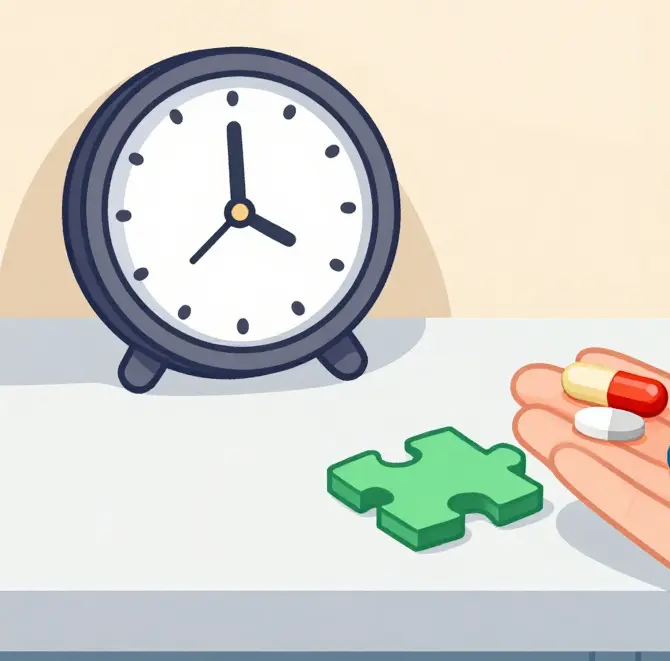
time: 3:59
